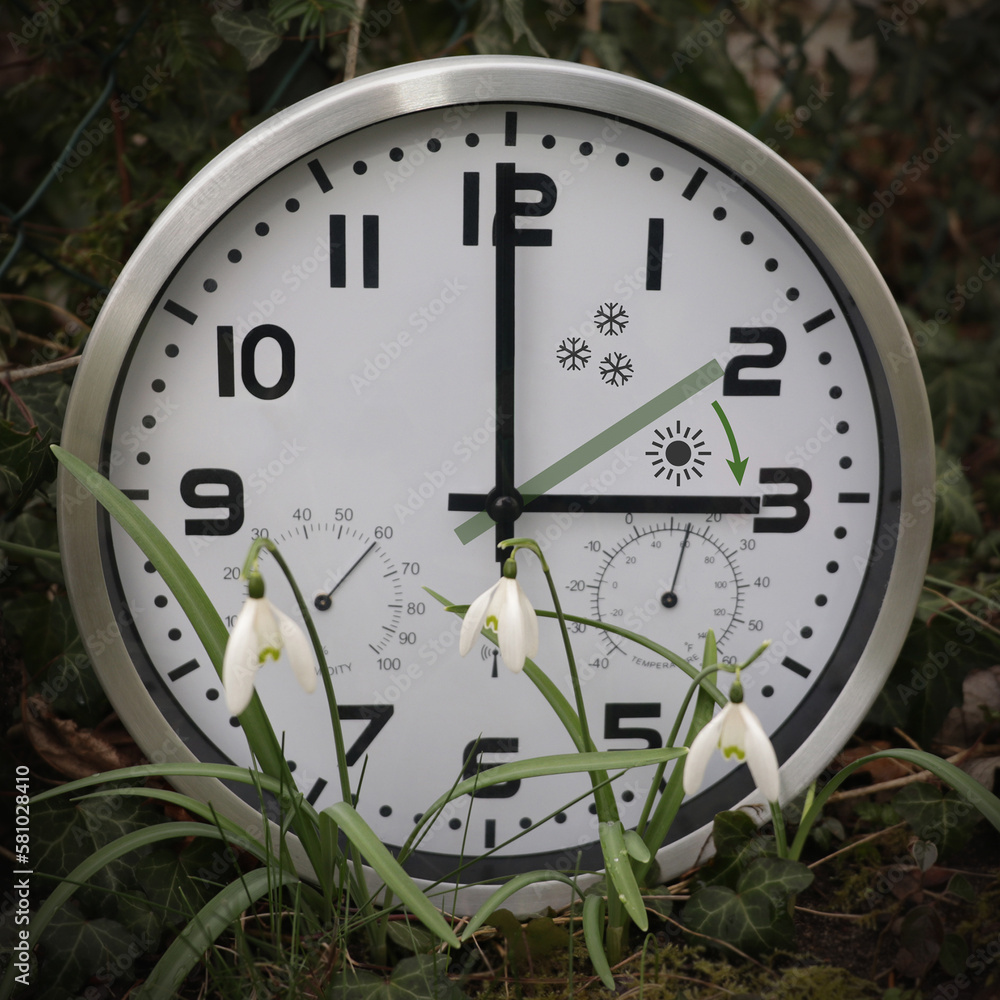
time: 2:59
